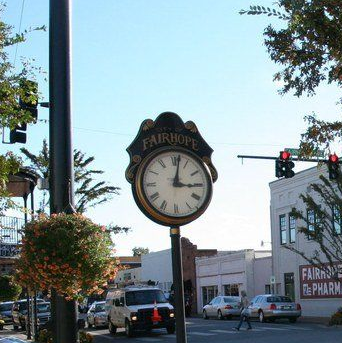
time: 3:01
